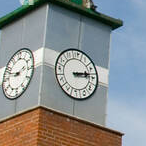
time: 3:13
